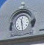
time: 11:28
